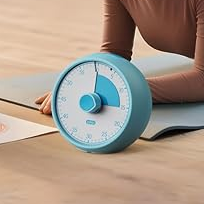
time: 12:00
